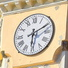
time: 6:10
